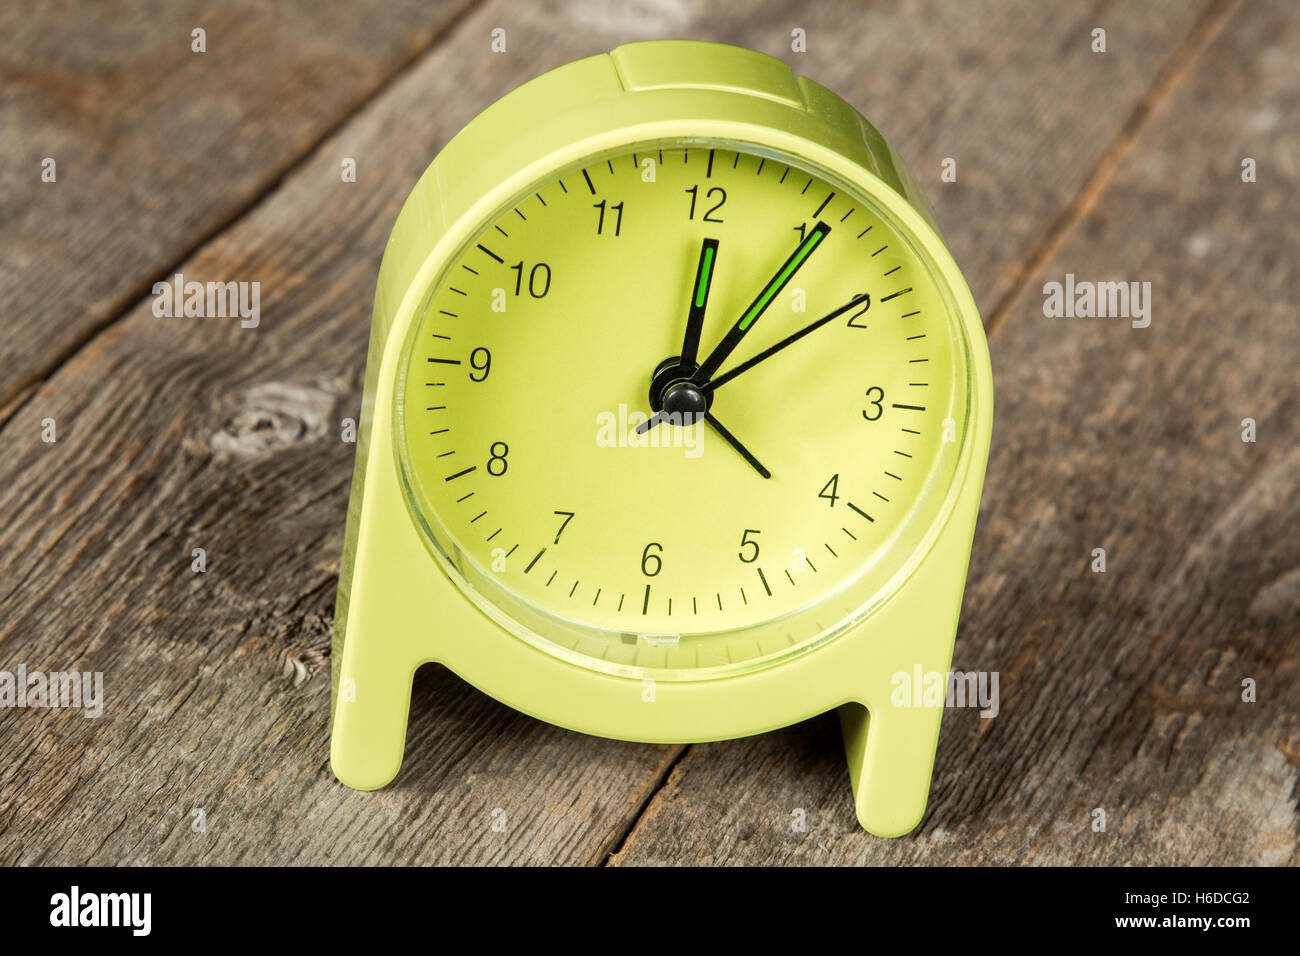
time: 12:05
